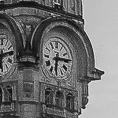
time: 6:14
